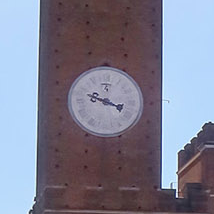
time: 3:48
